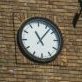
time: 11:07
